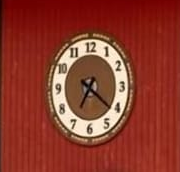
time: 7:21
